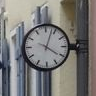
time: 4:03
